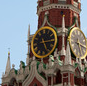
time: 5:14
